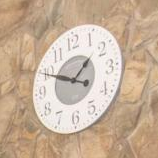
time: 1:49
